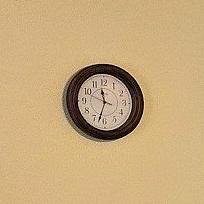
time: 11:32
